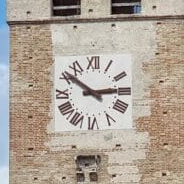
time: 2:51
